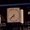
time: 7:37
